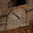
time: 4:52
